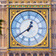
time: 12:39
